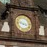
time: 3:47
